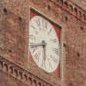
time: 5:40
